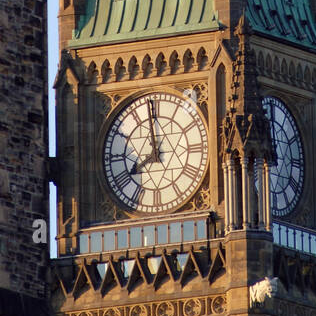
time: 7:58
